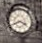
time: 3:40
